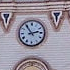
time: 2:54
